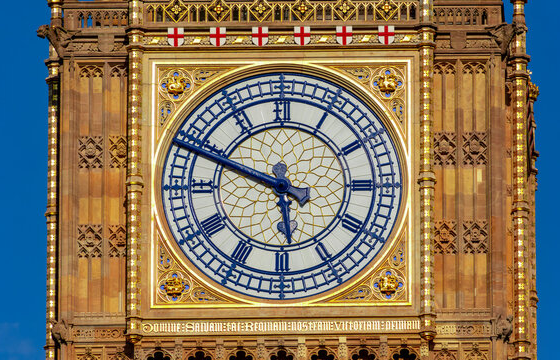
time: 5:48
